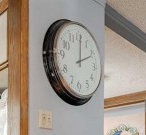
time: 2:00
